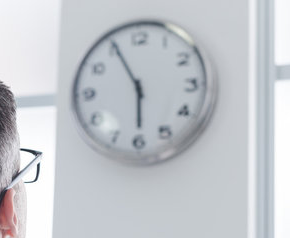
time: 5:55
